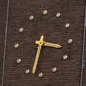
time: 3:32
